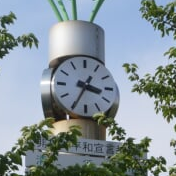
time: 3:34
